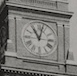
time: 11:02
